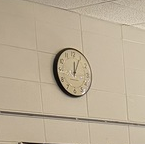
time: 12:04
